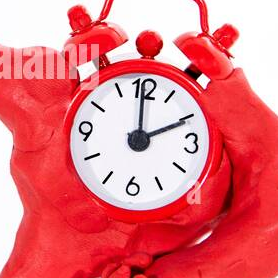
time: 1:59
